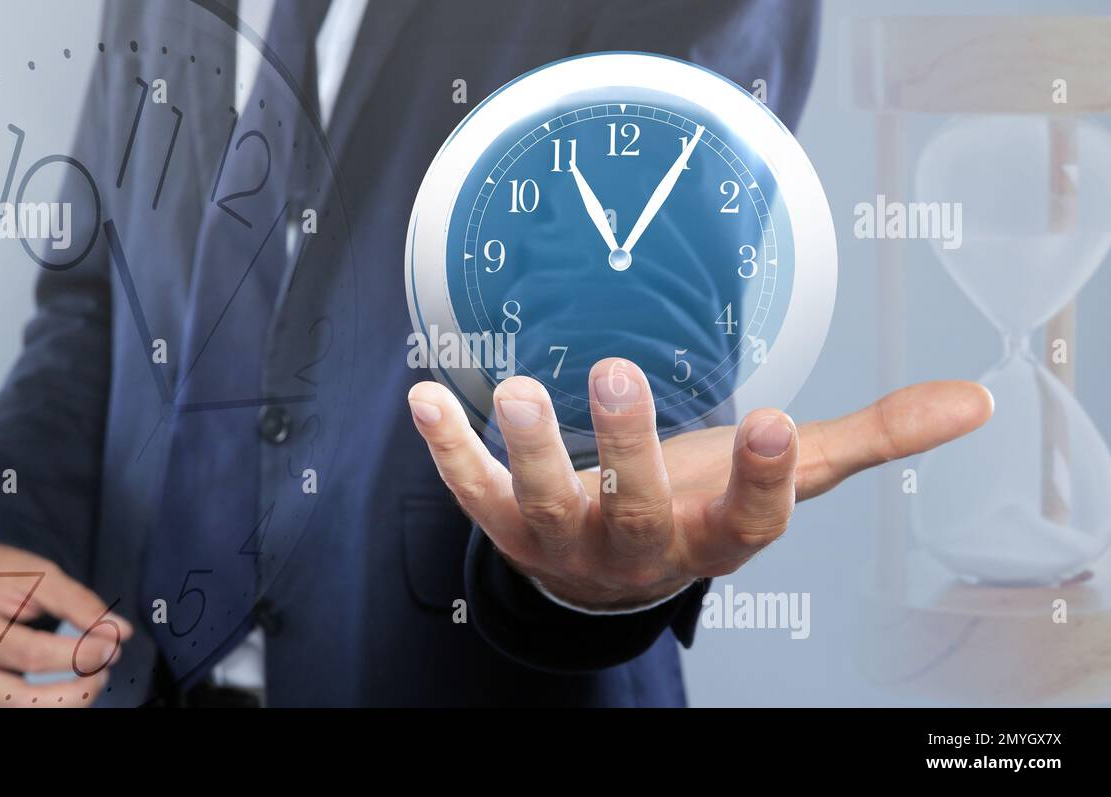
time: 11:05
